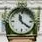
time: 11:21
